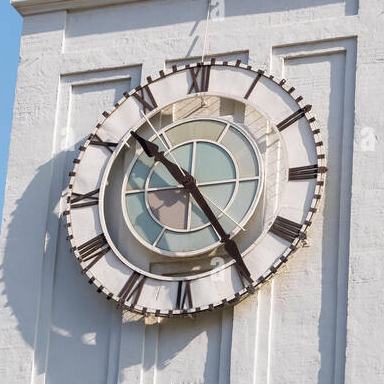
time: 10:24
